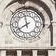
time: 7:58
